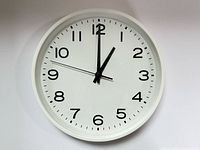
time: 1:00
